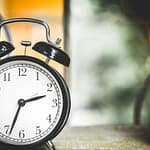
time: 2:33
